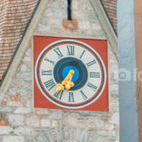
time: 6:36
